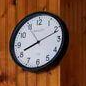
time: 8:11
